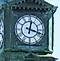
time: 12:18
